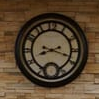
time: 2:18
